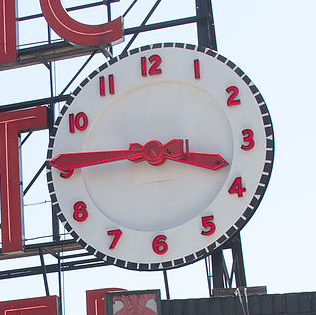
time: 3:45
